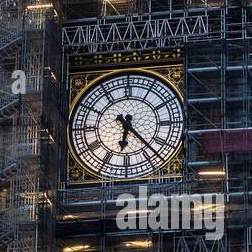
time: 6:22
